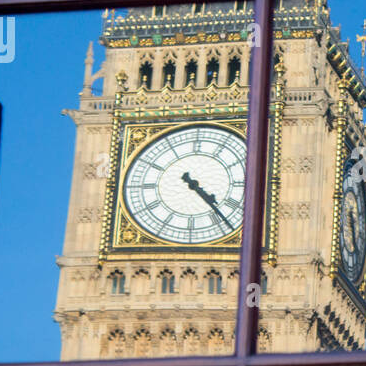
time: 4:22
